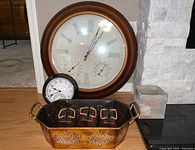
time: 1:03
